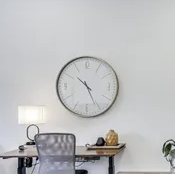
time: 10:25
